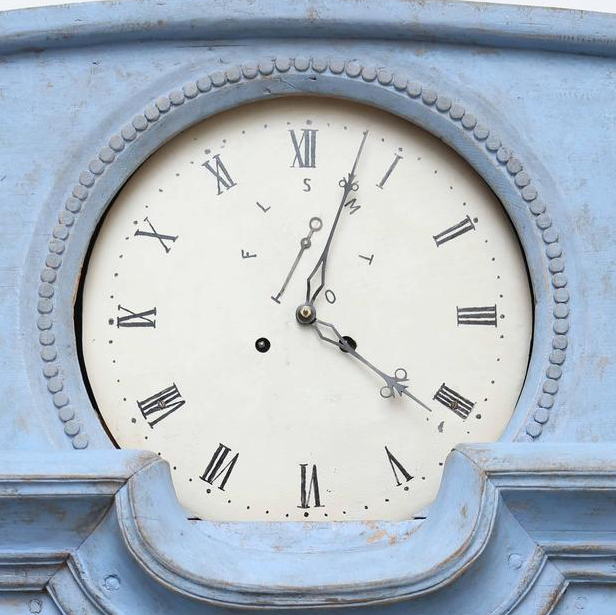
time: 4:03
